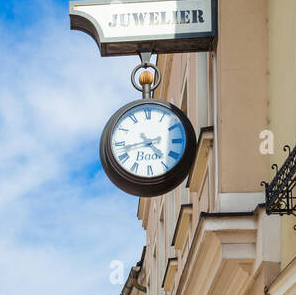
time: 4:42
